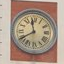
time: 11:39
